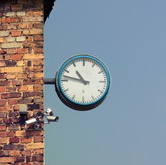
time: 10:47
